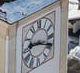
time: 9:18
